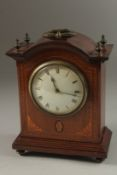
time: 11:16
